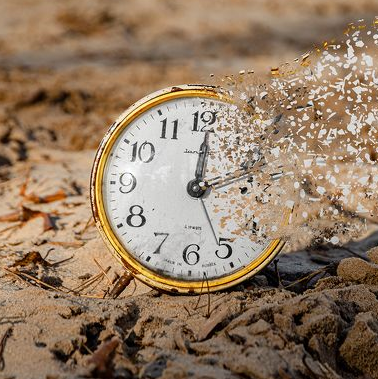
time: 12:12
